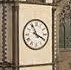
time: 3:55
